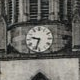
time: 9:33
